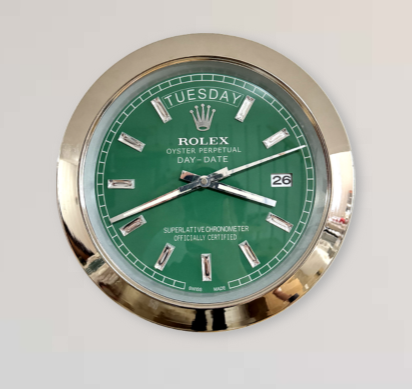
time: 3:41
